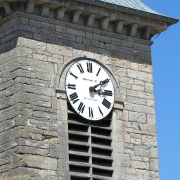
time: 3:09
